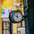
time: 11:51
